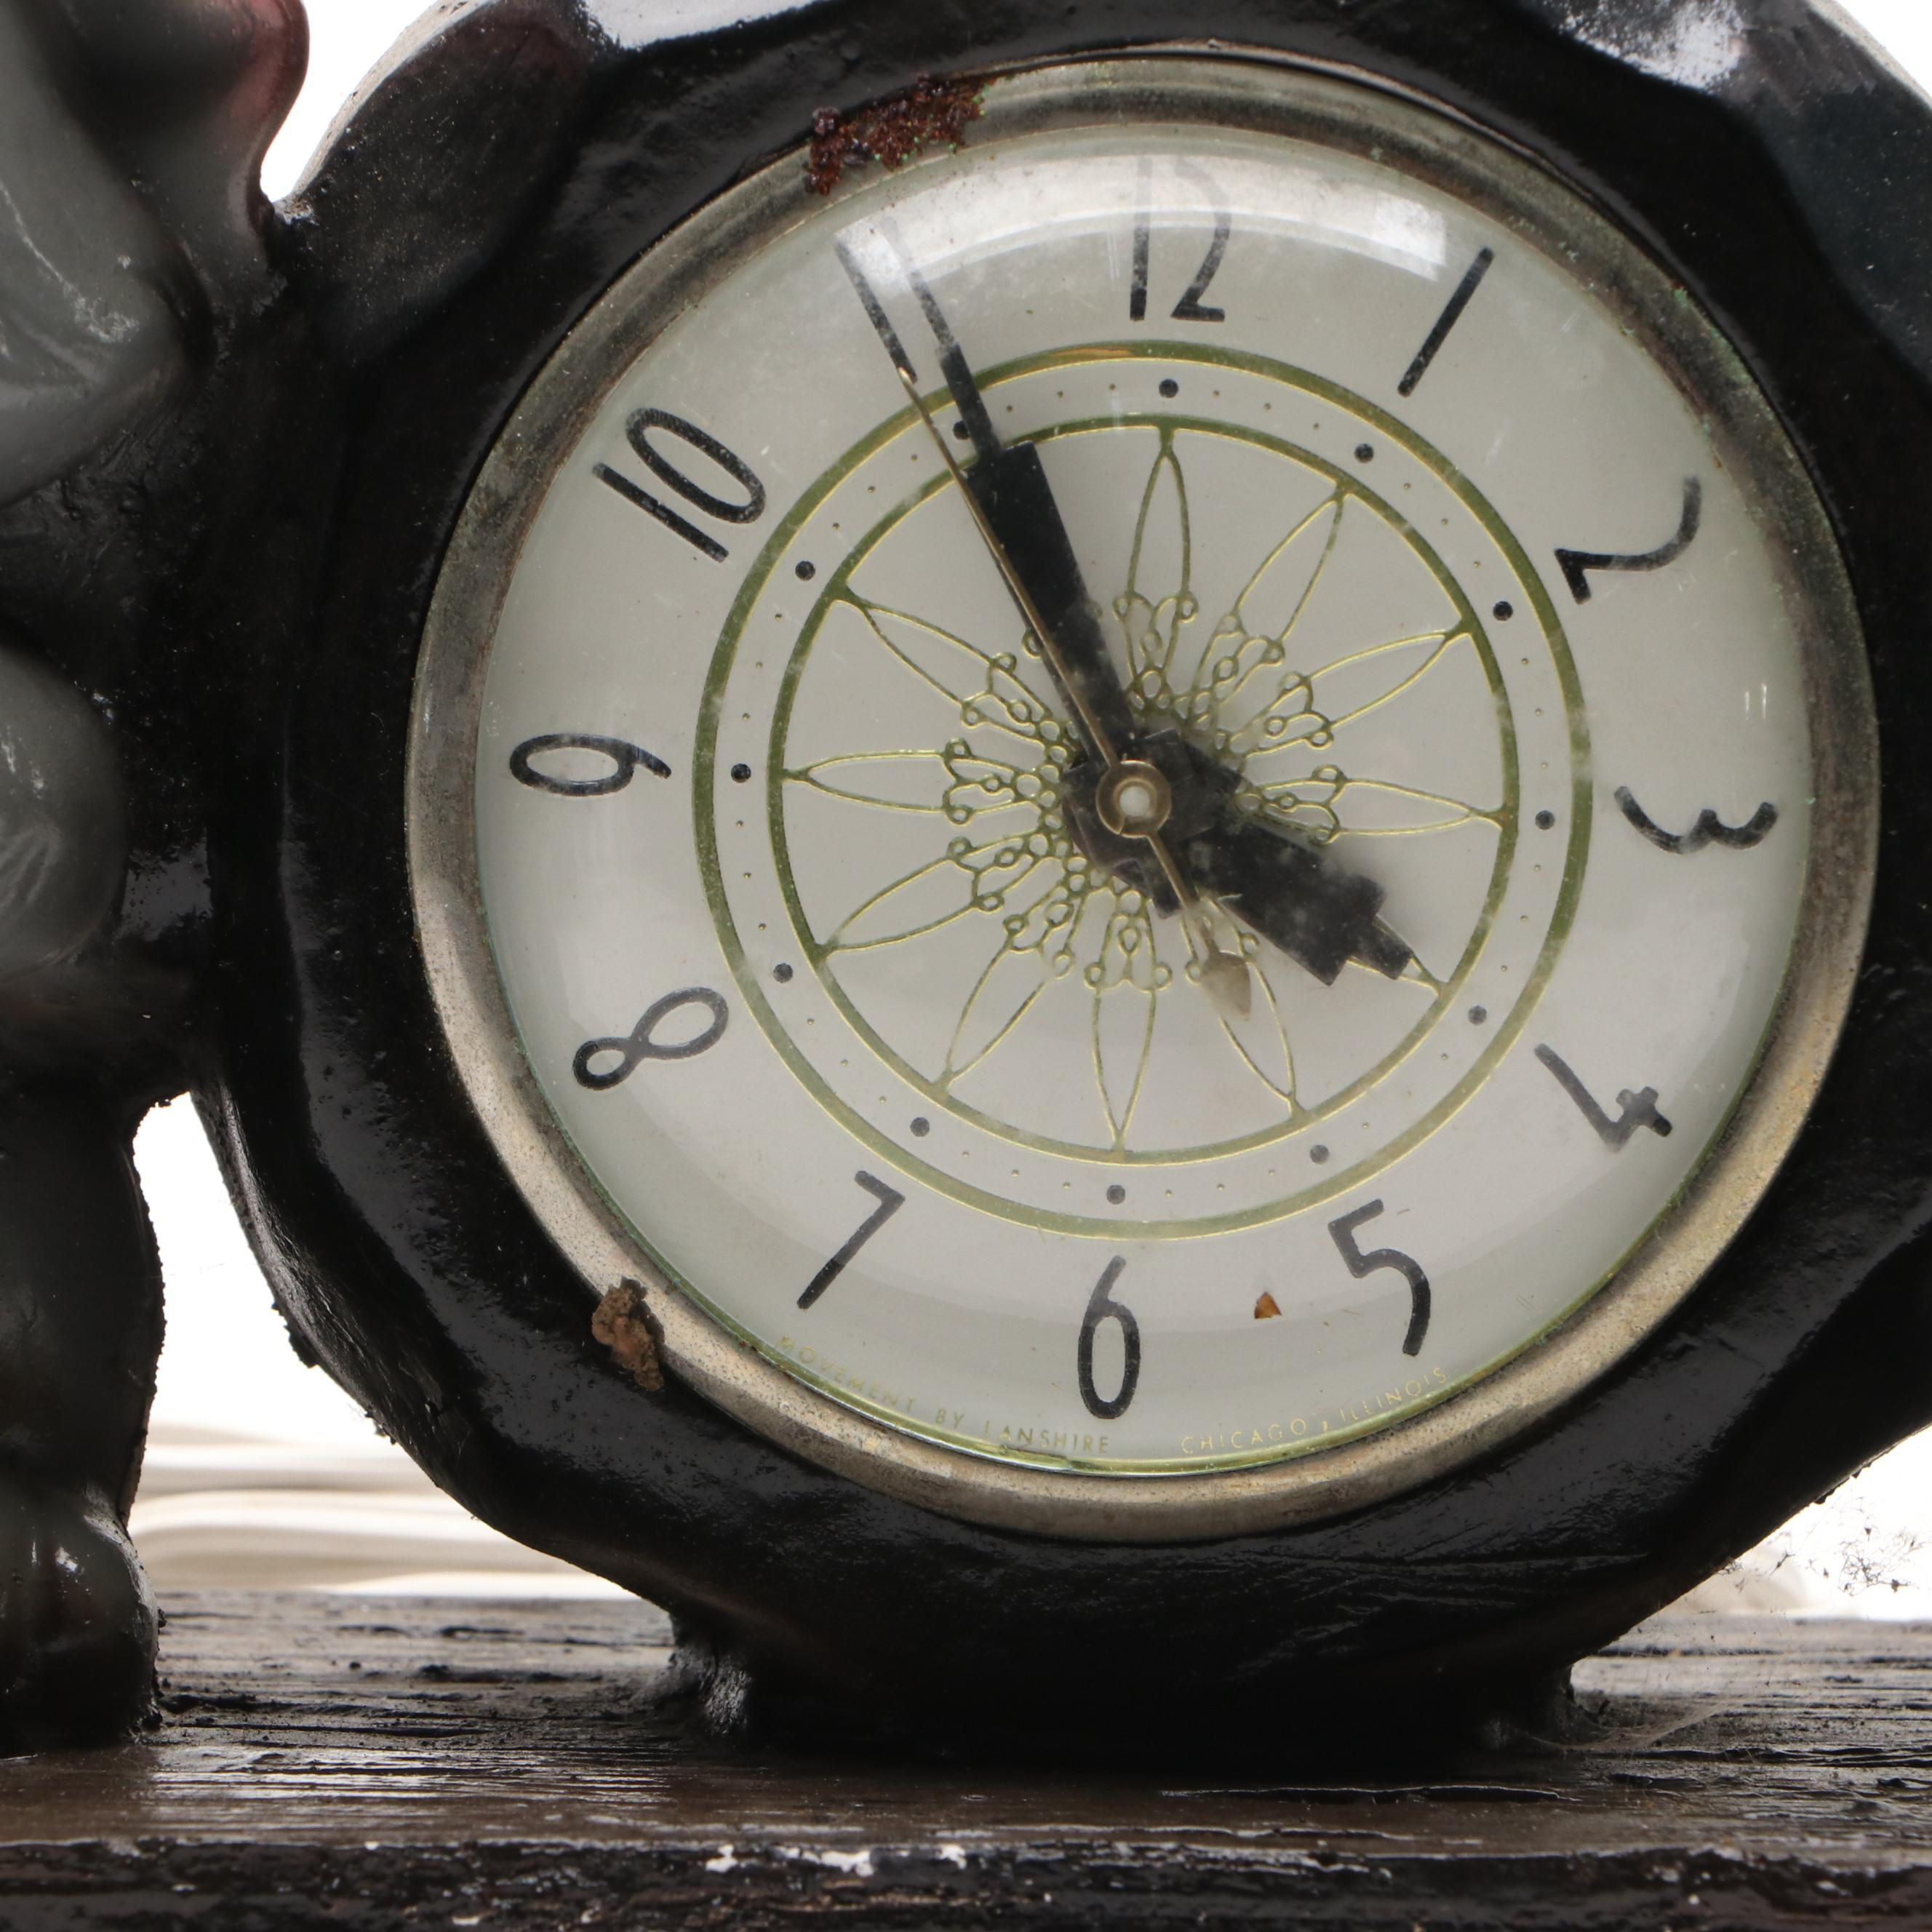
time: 3:55
